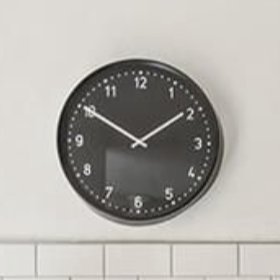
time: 1:50
